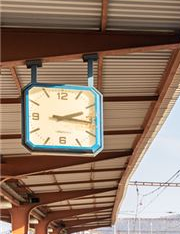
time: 2:16
